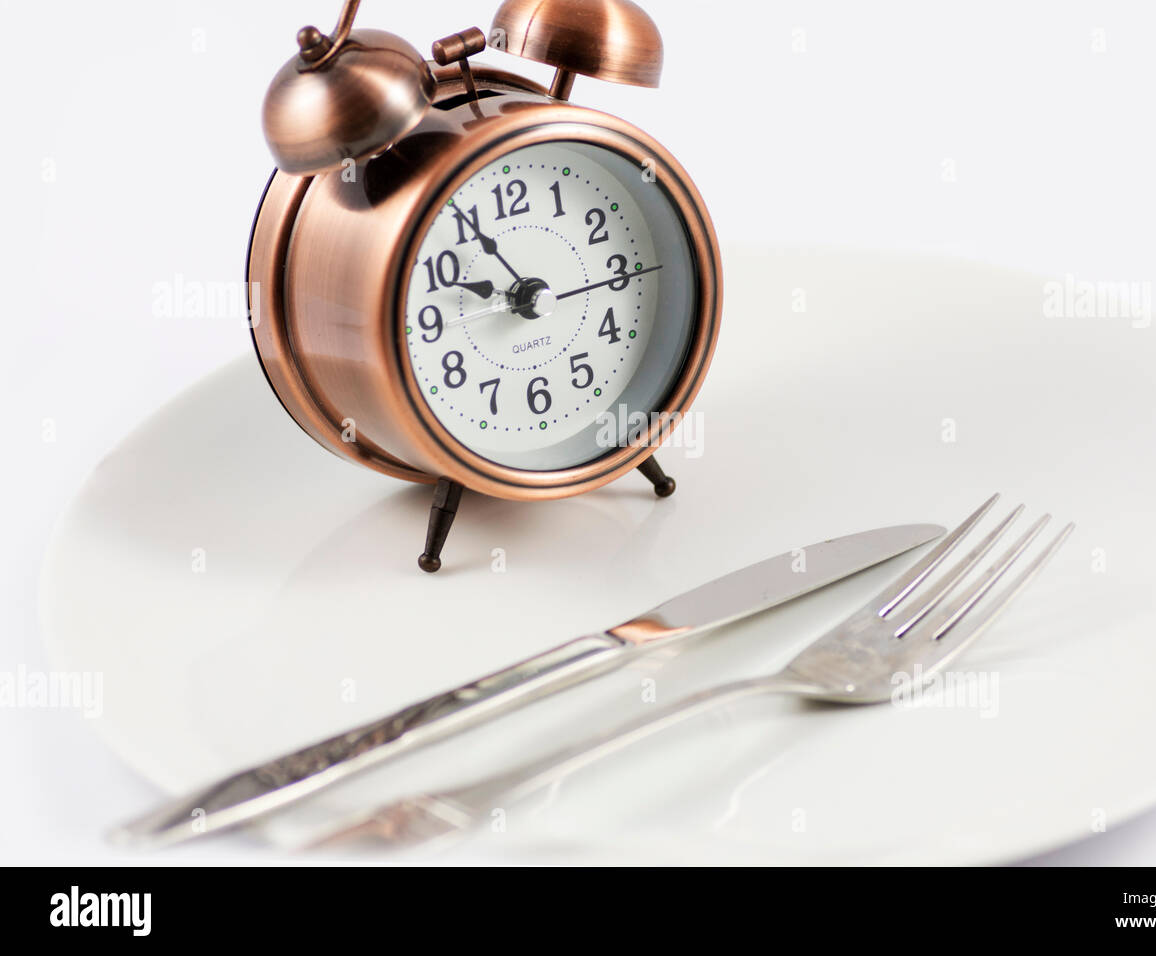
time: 9:54
